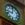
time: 9:01
